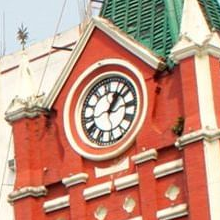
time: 1:07
